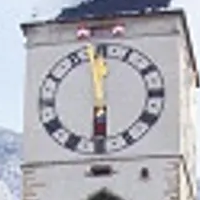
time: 5:59
